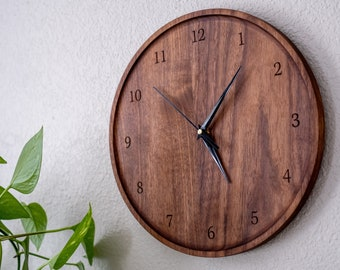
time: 5:06
